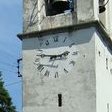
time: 2:46
